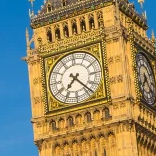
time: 7:23
